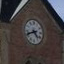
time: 4:41
